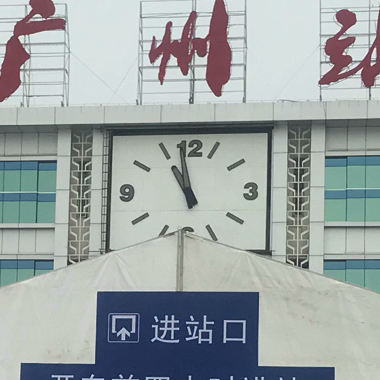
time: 10:58
